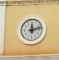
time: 12:12
